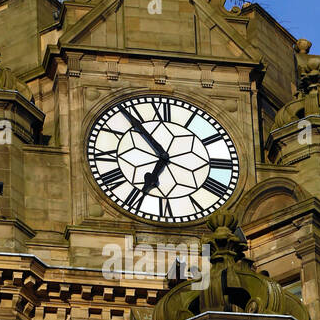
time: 6:53
